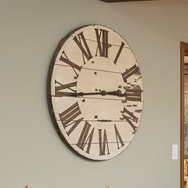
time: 2:43
